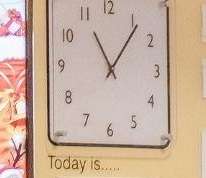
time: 11:06
